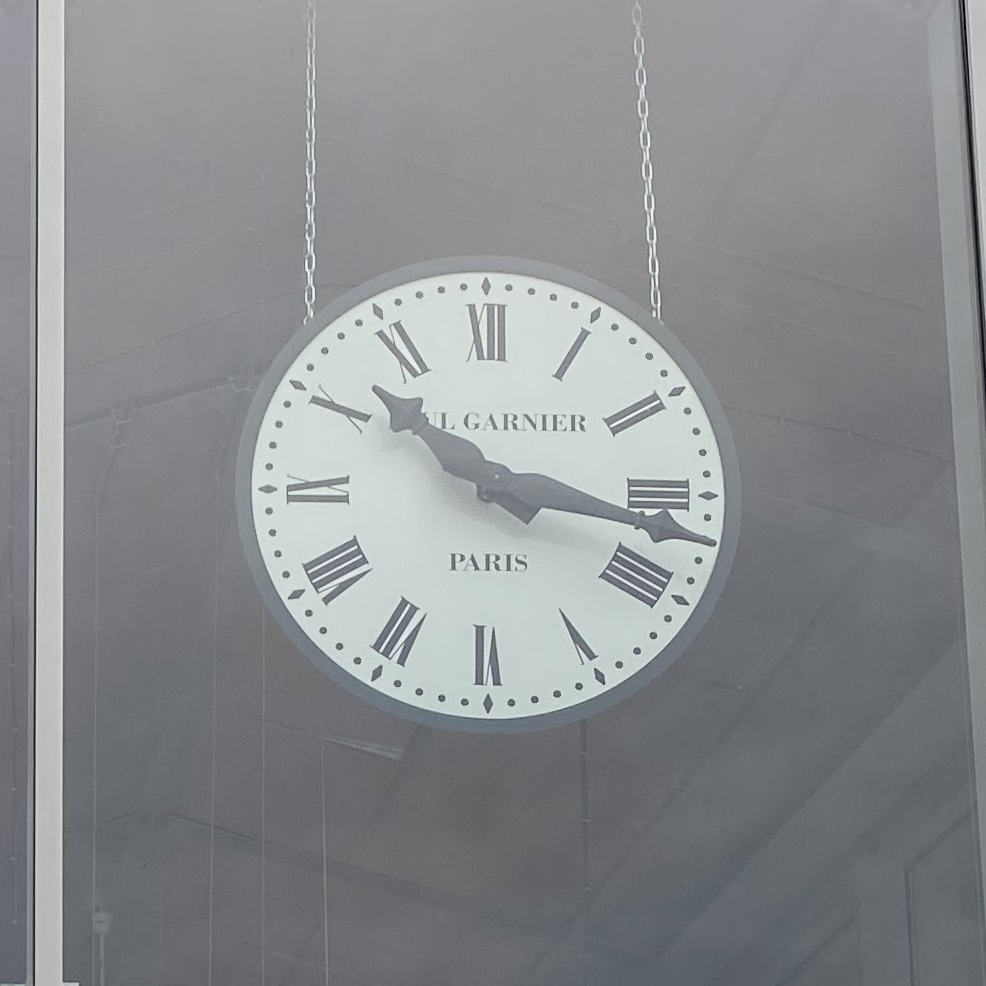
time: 10:17
